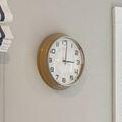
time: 3:01
